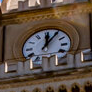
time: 12:05
